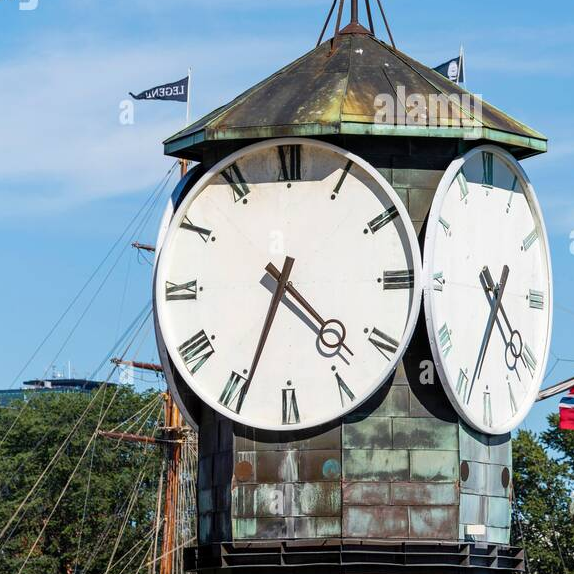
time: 4:33
